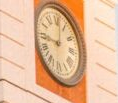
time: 9:01
